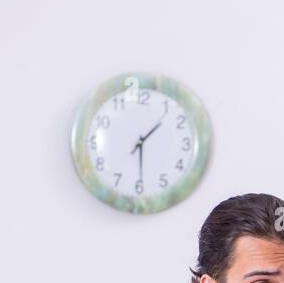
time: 1:29
